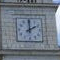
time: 1:59
